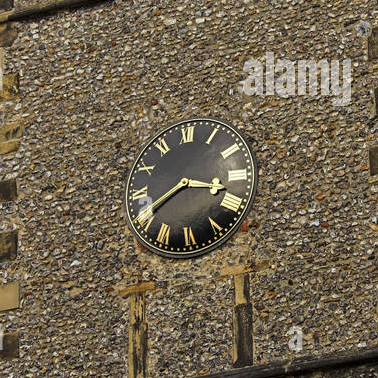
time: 3:40
